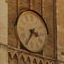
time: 3:35
